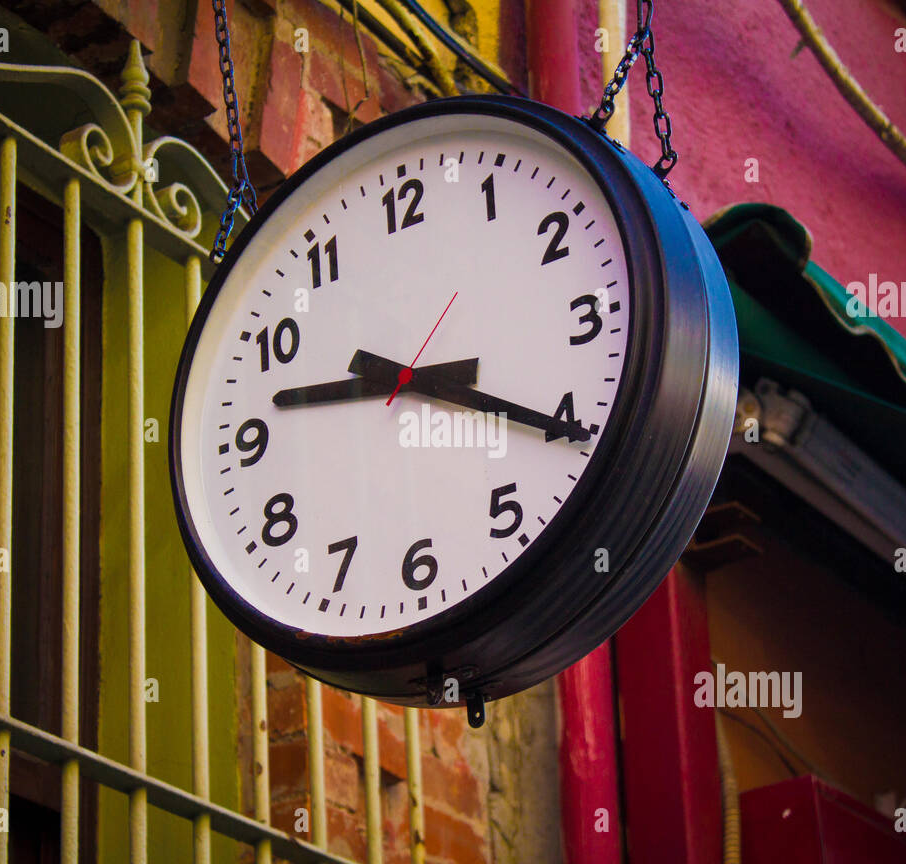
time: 9:20
